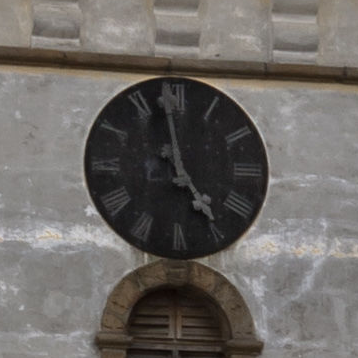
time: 4:58
